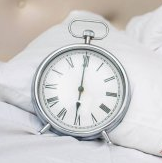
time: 6:00
